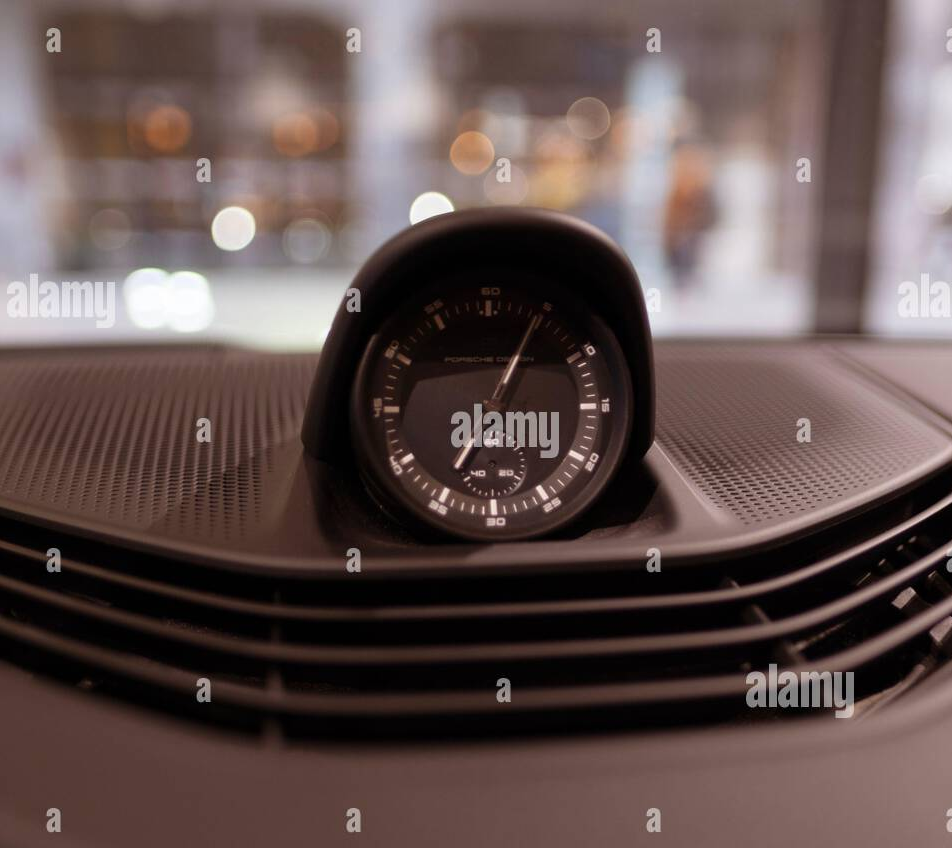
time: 7:04
